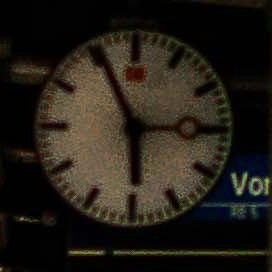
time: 5:55
